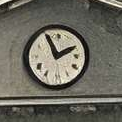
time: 1:56
